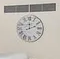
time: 12:11
